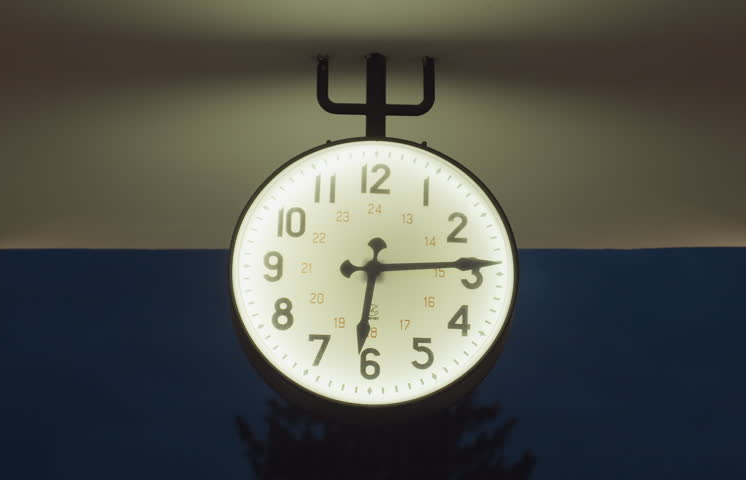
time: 6:14
